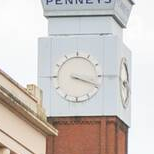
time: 3:18
